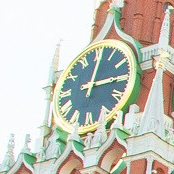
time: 12:14
